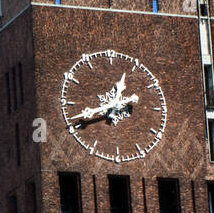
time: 12:41
